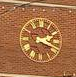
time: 2:18
